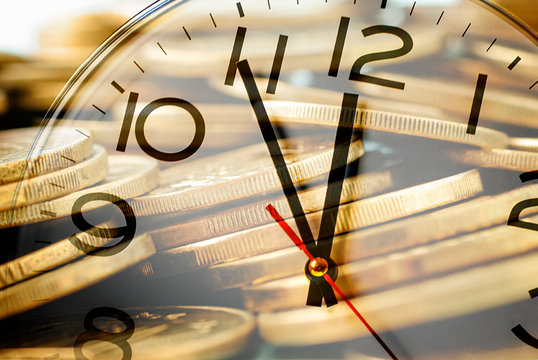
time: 11:55
